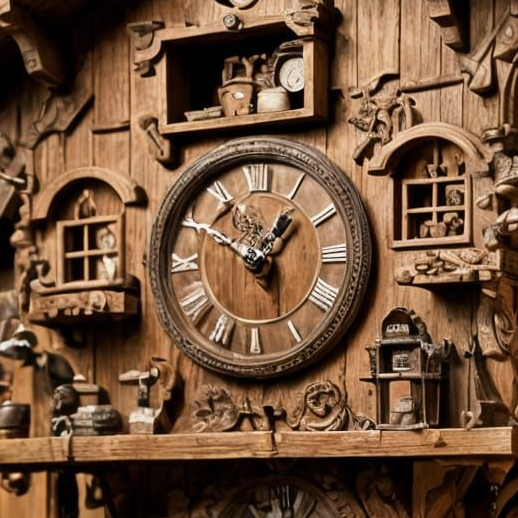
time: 12:50
